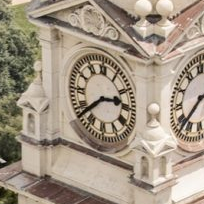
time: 2:38
